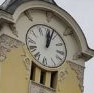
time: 12:03
